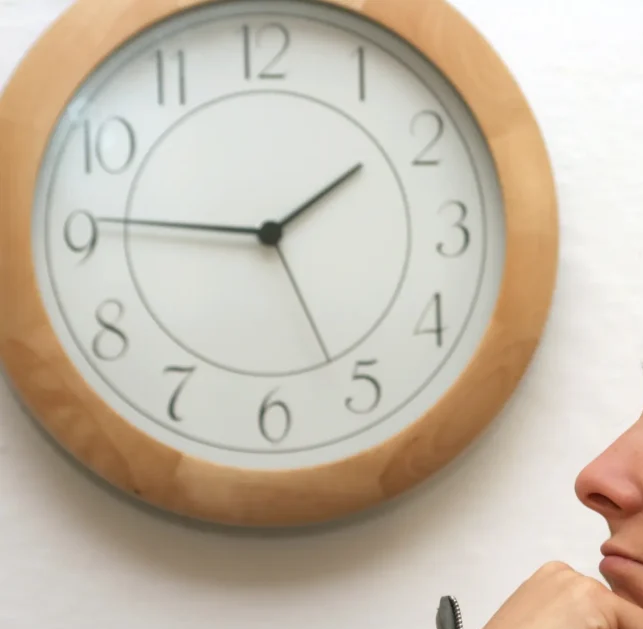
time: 1:45
